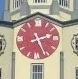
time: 2:25
